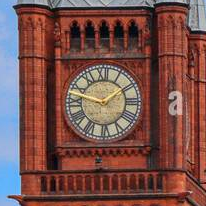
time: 1:47
